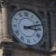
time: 3:12
